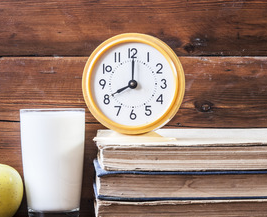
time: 8:00
